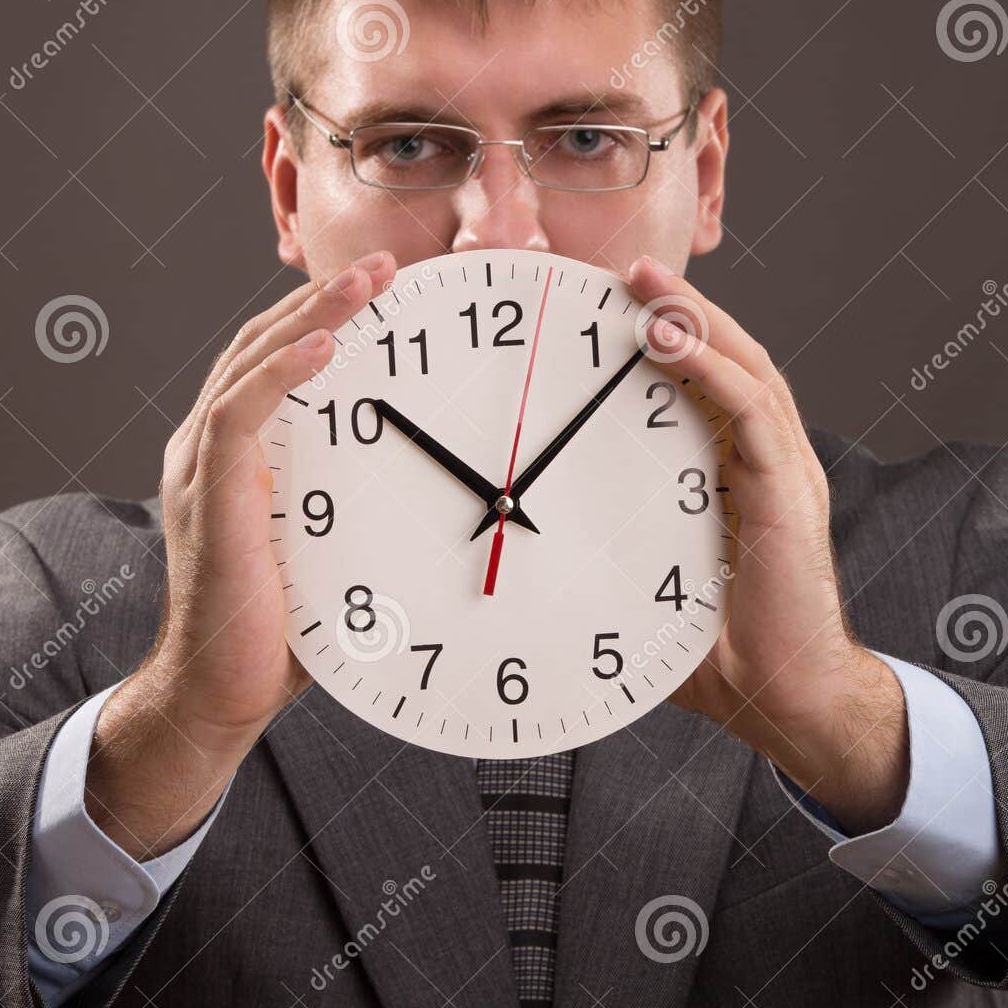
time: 10:07
